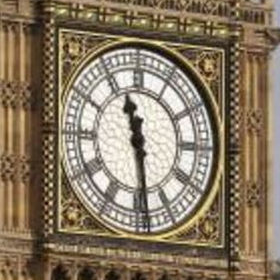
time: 11:28
